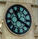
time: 11:19
